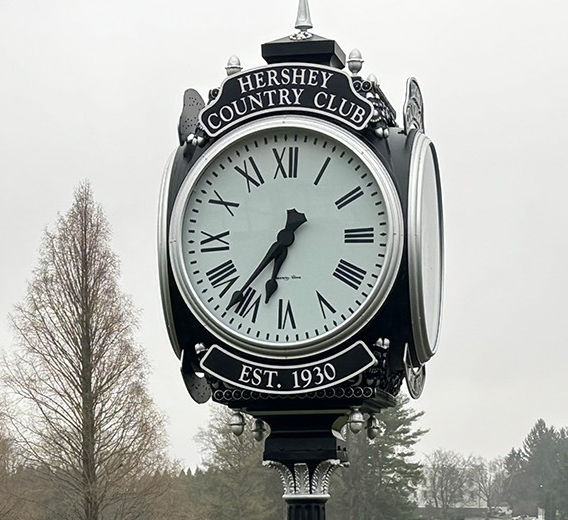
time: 6:36
